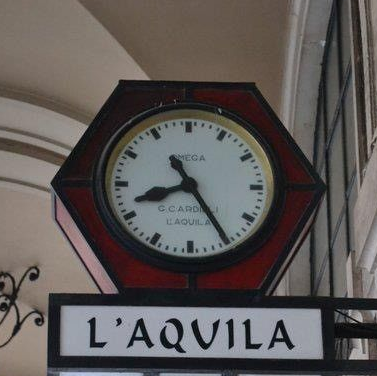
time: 8:24
